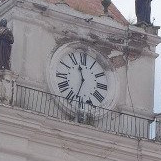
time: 11:32
